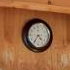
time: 4:35
